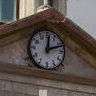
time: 12:11
